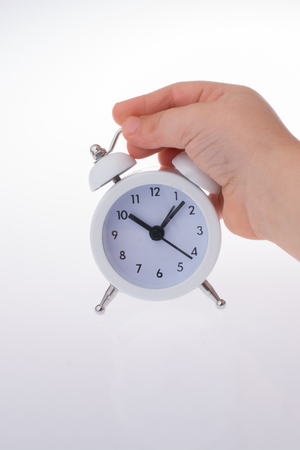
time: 10:07
